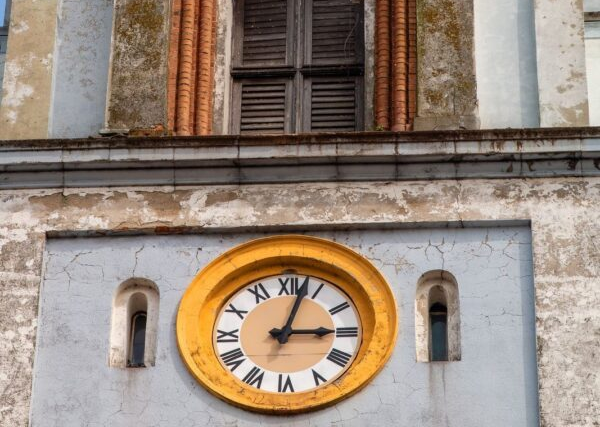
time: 3:02
